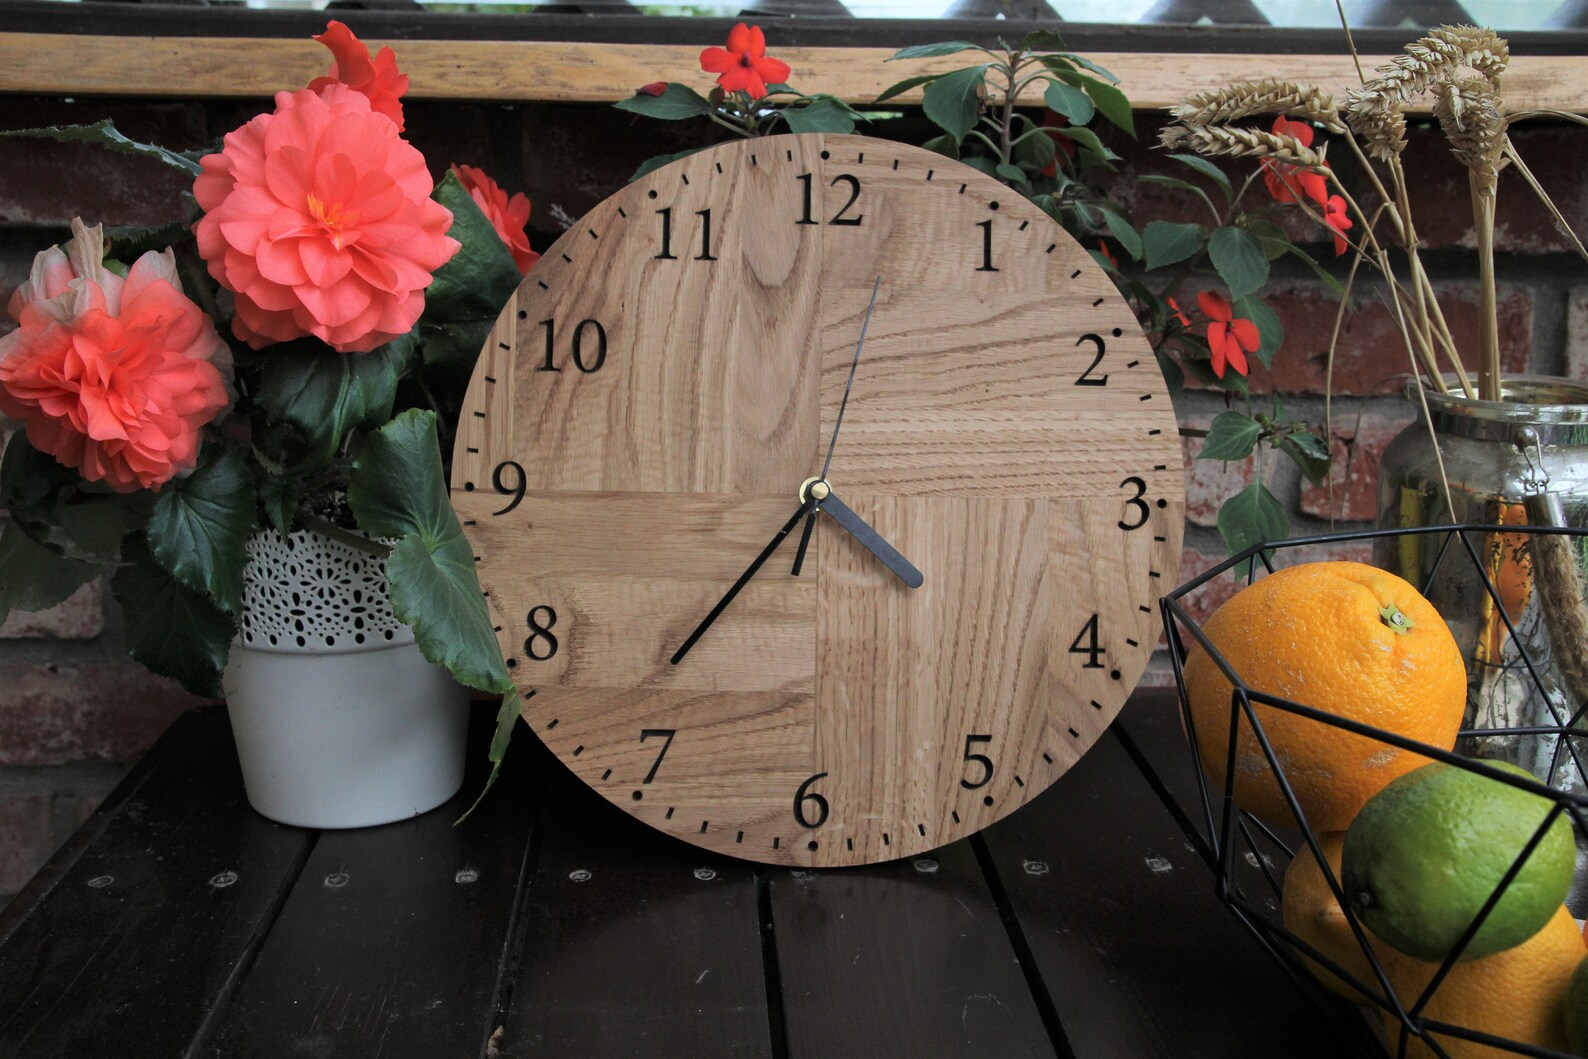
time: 4:36
